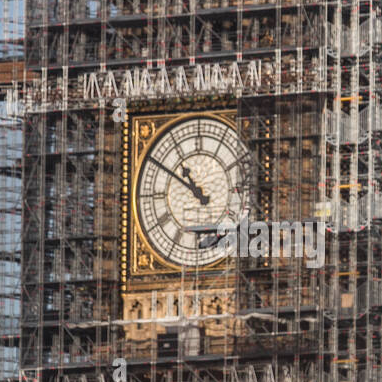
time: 10:50
